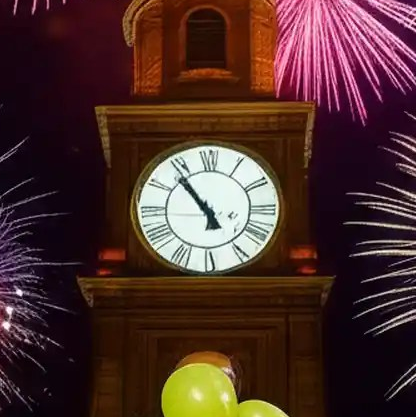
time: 4:53
